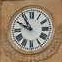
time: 10:49
